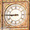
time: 8:45
